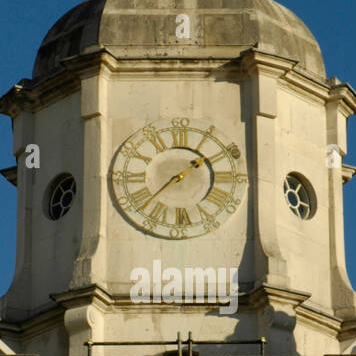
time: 1:37
